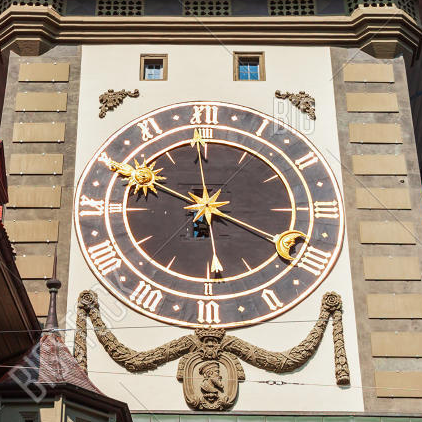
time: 5:49
